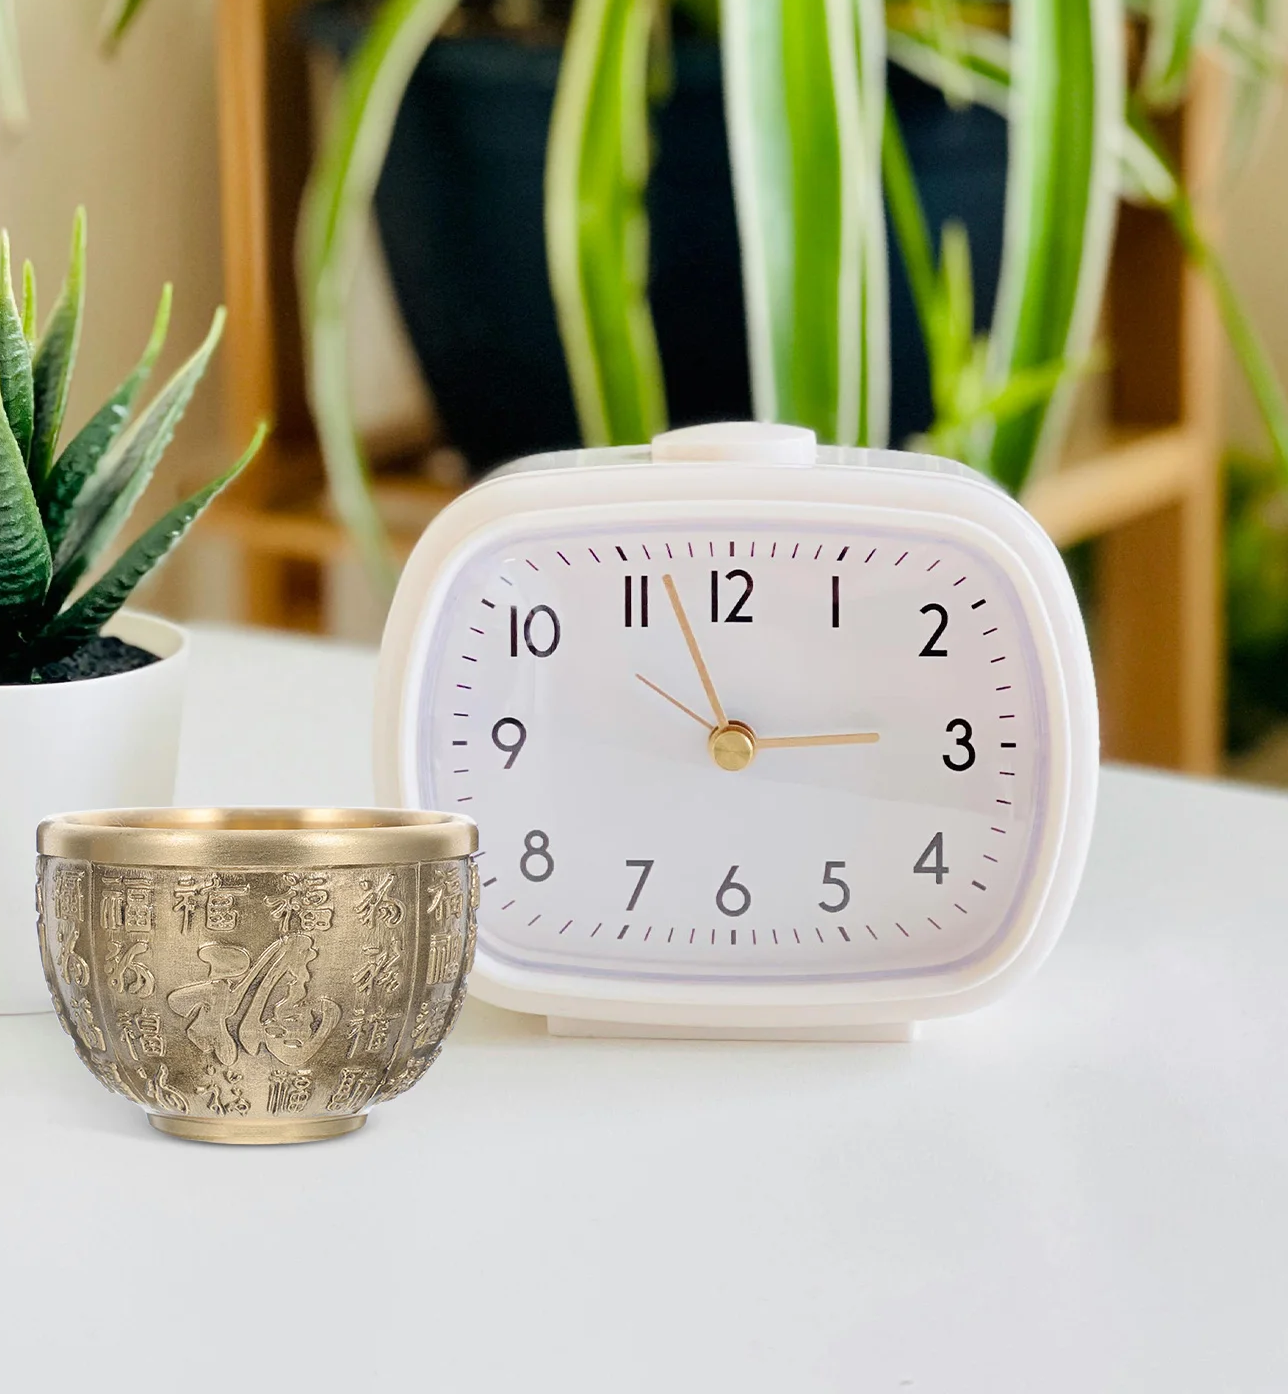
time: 2:56
